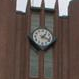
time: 1:18
